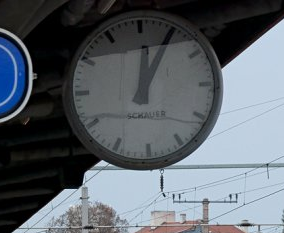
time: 12:04
